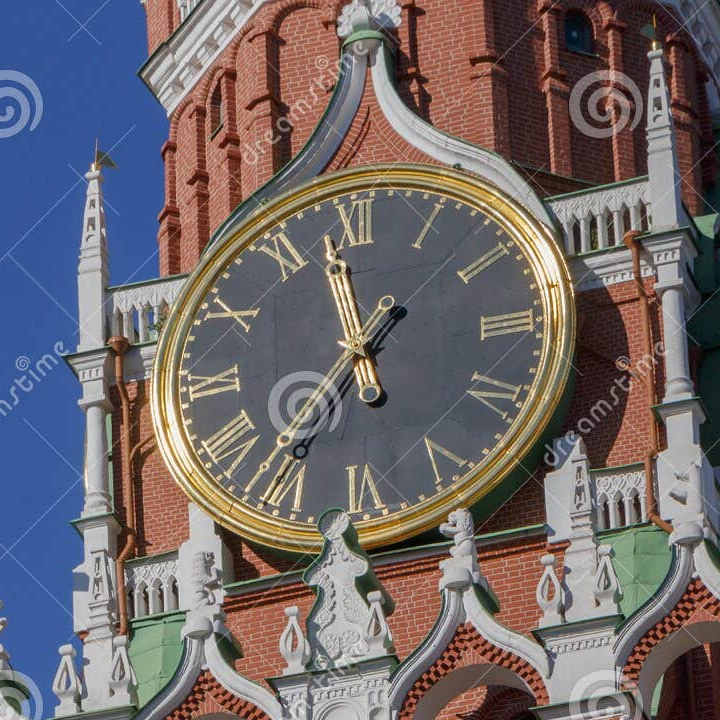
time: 11:36
